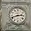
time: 2:41
